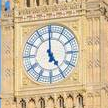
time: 4:59
